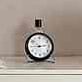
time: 2:44
